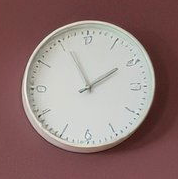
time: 1:55
